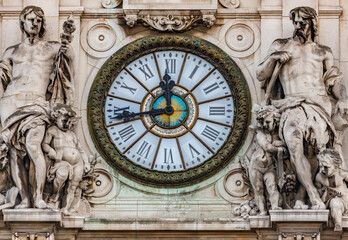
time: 11:43
